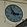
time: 2:54
